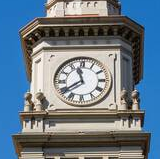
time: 11:39
